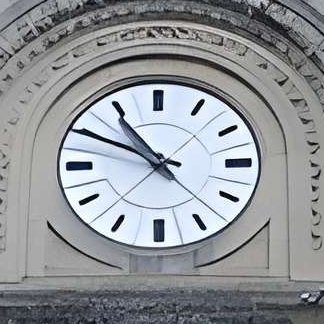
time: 10:49
